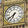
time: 6:38
